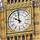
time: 9:58
